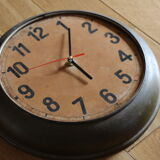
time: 5:01
